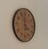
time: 3:58
